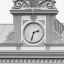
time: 2:32
